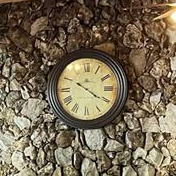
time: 4:20
